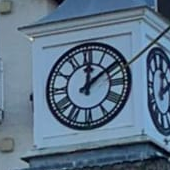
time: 12:09
